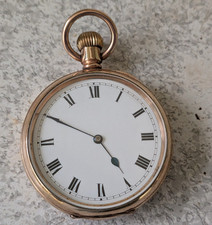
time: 4:49
